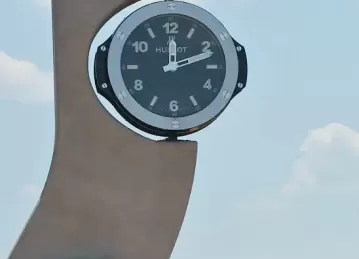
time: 12:11
